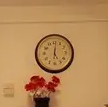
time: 5:01
